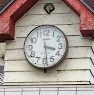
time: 3:28
